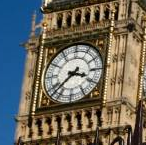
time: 3:37
